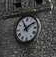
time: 11:09
